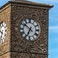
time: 6:51
